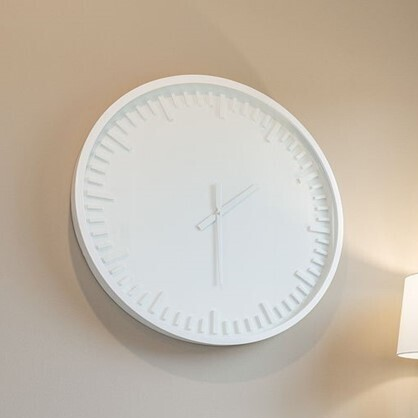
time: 1:29
